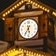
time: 5:35
